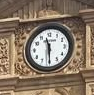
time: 11:29
